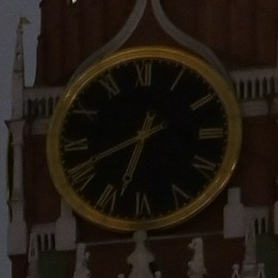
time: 6:41
